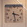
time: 3:28
